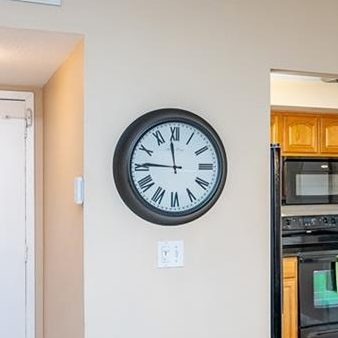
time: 11:45
